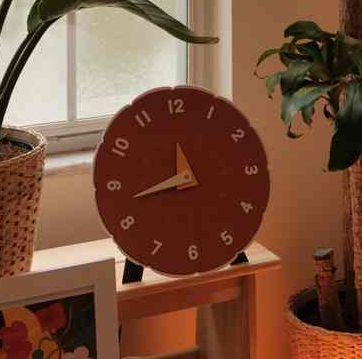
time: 11:42
